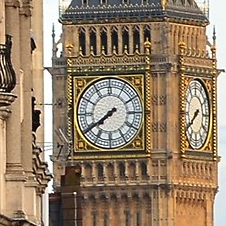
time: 7:39
